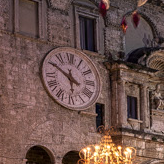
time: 5:50
